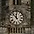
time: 11:52
